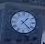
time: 1:22
